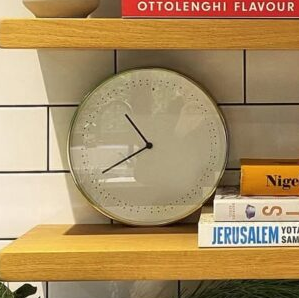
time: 10:40
